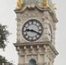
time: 9:19
